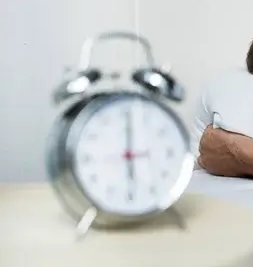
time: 6:00
